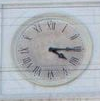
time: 4:15
